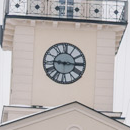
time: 9:15
